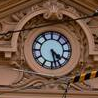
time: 4:27
